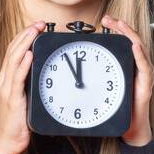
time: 11:55
